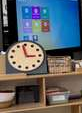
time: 2:58
